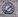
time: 1:36
